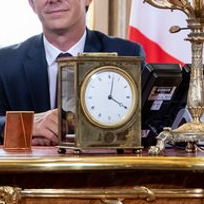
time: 4:02
